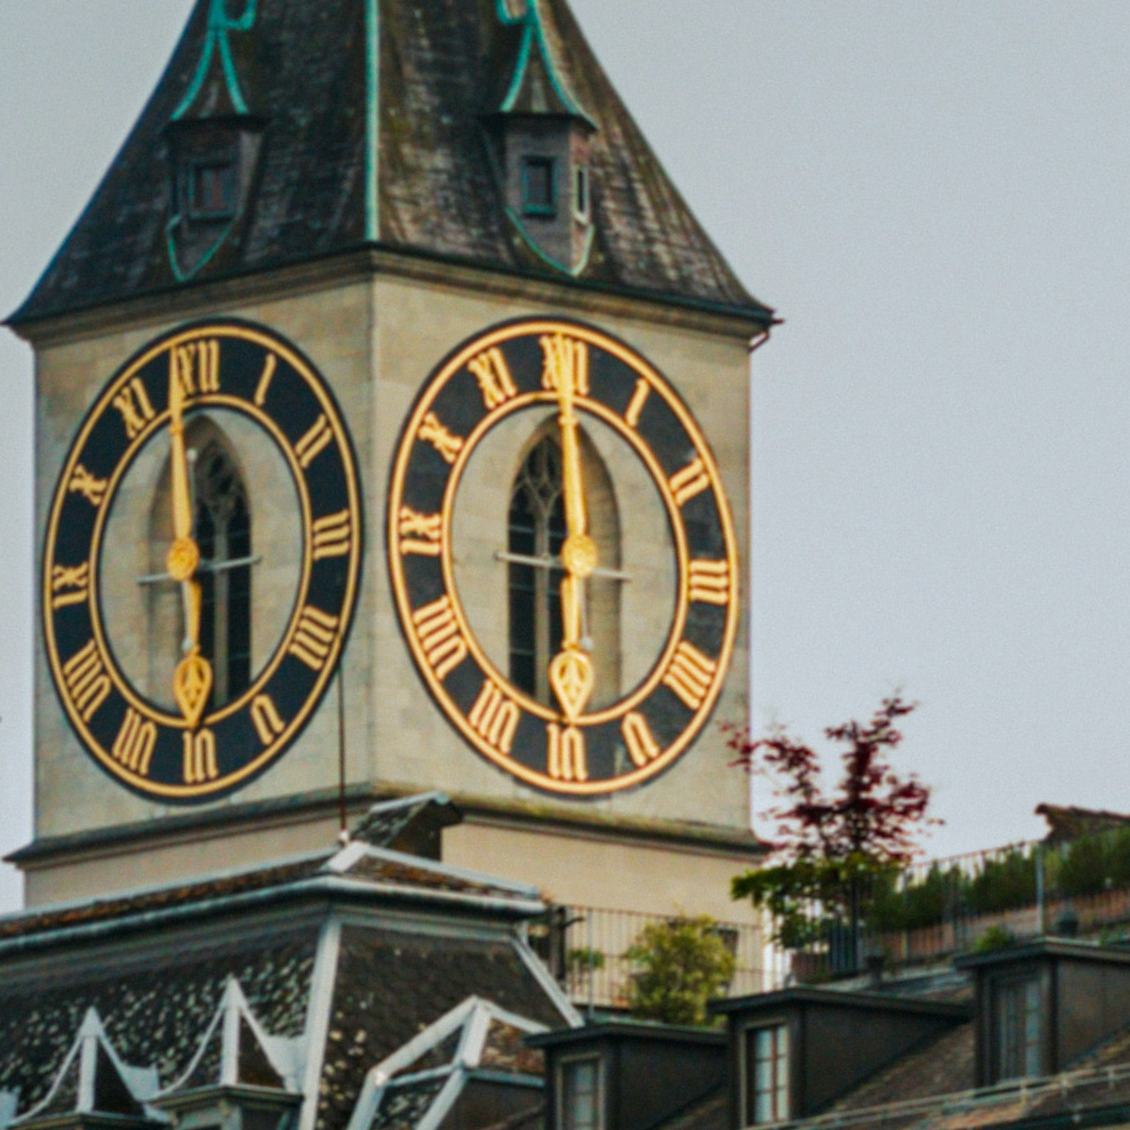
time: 5:59
